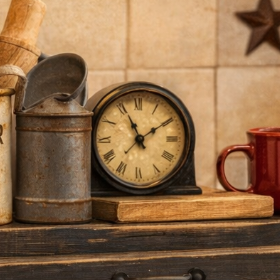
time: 11:09
